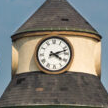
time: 4:12
